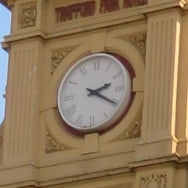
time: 2:20
